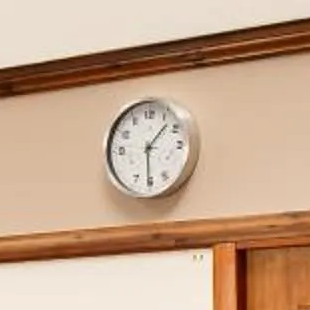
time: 1:30
